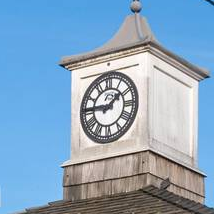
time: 1:45
